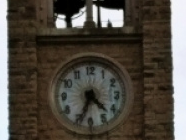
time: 4:34
